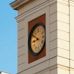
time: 8:49
